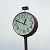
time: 12:48
